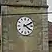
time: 4:10
